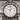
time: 10:05
